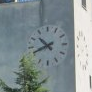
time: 10:41
